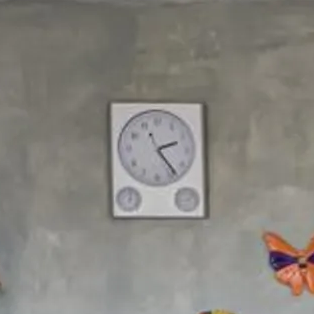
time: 2:23
